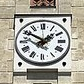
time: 1:50
